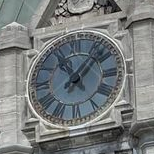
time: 11:07
